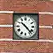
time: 10:22
